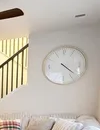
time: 4:21
